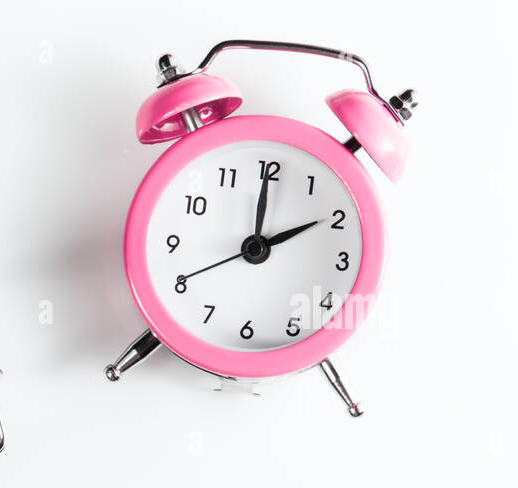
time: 2:00
